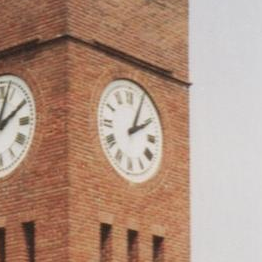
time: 2:04
